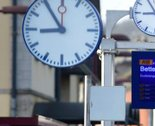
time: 8:54
